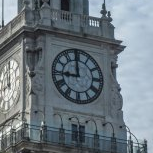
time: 8:58
